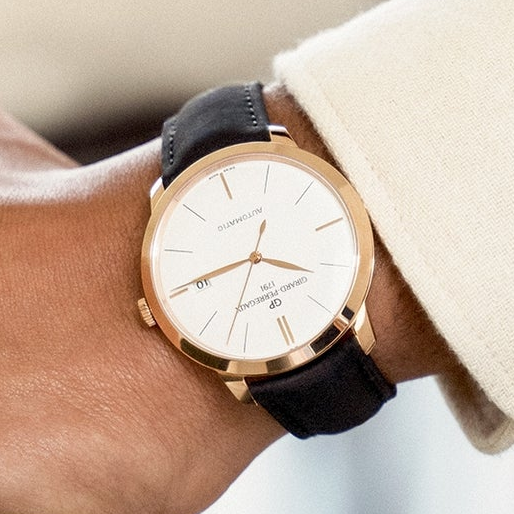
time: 3:40
